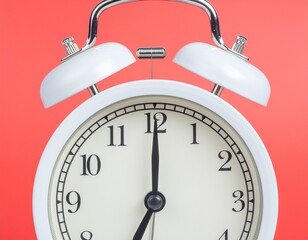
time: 7:00
